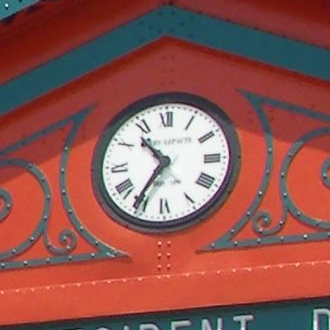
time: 10:35
